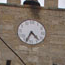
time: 4:34
